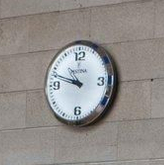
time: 10:48
